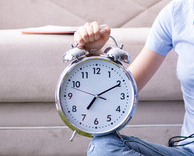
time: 7:10
